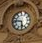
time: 5:46
